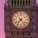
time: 7:23
